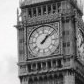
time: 1:08
